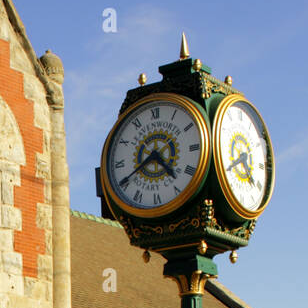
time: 4:40
